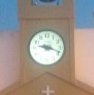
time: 9:18
